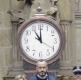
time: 11:00
